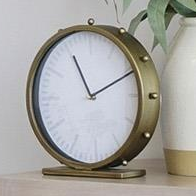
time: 11:10
